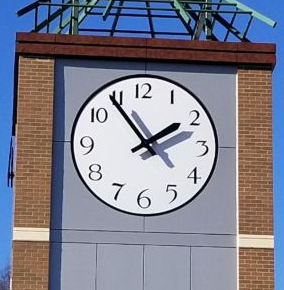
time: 1:54
